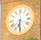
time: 6:29
